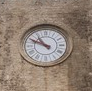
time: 10:49
